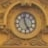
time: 4:57
